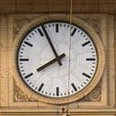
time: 7:55
